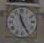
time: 11:25
